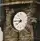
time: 7:45
